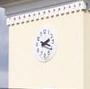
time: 2:18
